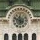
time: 11:48
